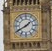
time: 1:39
